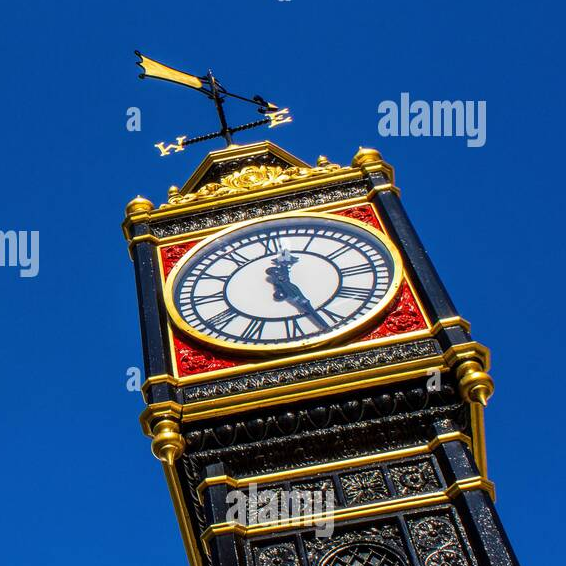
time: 12:26
